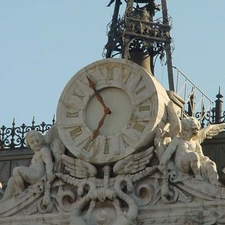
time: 6:54
